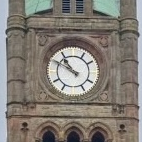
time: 10:50
